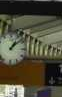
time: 1:08
